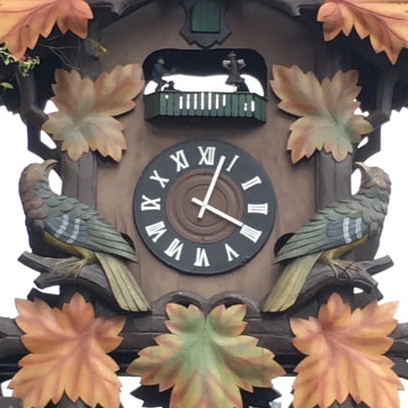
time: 4:03
